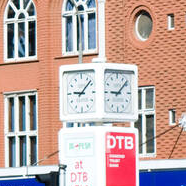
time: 9:07
